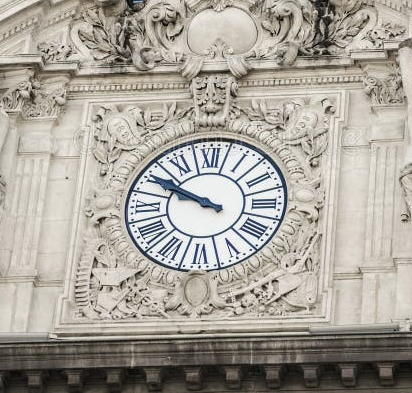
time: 9:50
